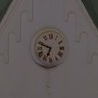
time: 6:48
